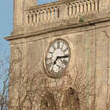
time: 7:15
